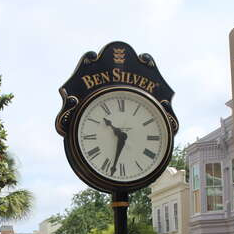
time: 10:32
